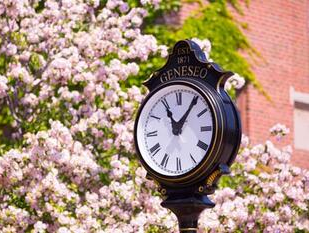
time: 11:06
